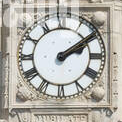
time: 2:09
